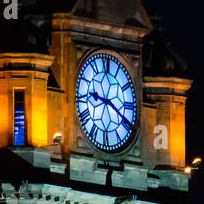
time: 9:20
